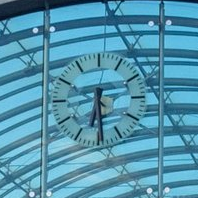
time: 6:29
